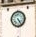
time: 4:23
